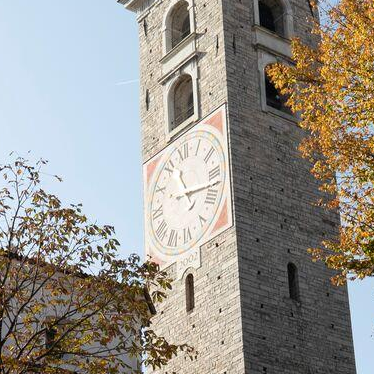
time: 11:17
